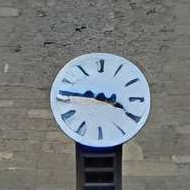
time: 3:46
